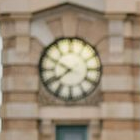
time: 7:49
